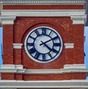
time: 4:10
